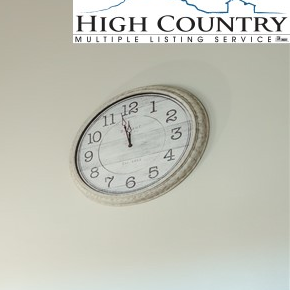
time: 11:57
